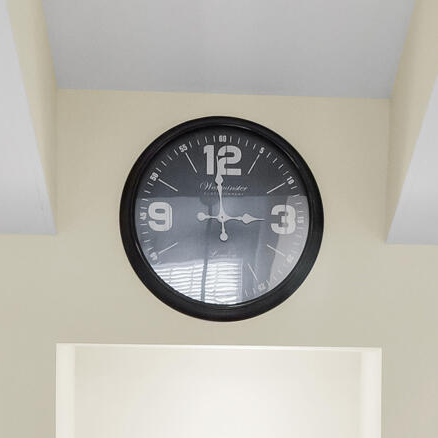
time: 2:58
